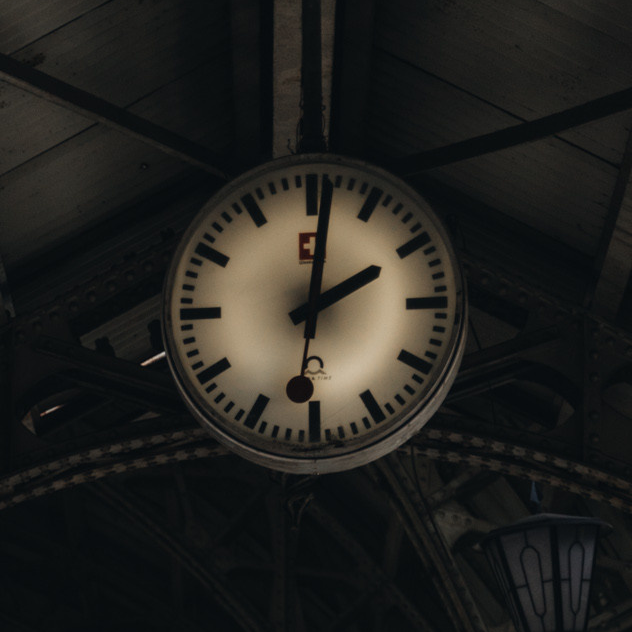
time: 2:01
